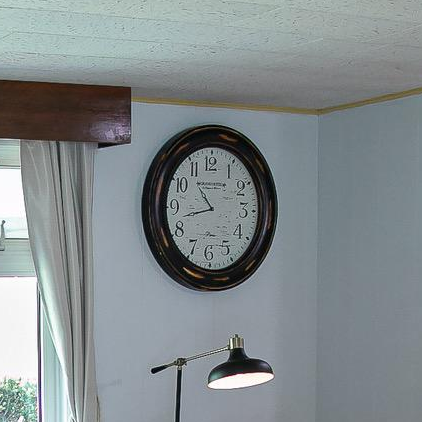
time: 10:42
